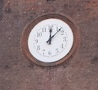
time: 12:07
